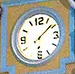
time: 6:08
